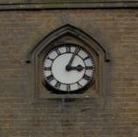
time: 3:04
